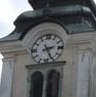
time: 2:25
